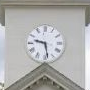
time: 9:28
